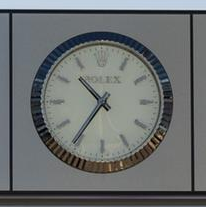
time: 10:35
